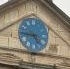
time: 4:44
